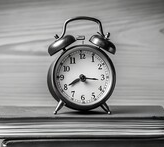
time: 8:16
